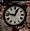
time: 12:46
